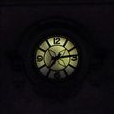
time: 7:13
